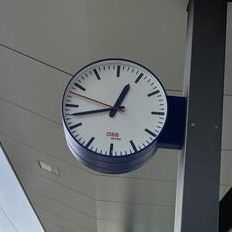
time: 12:42
